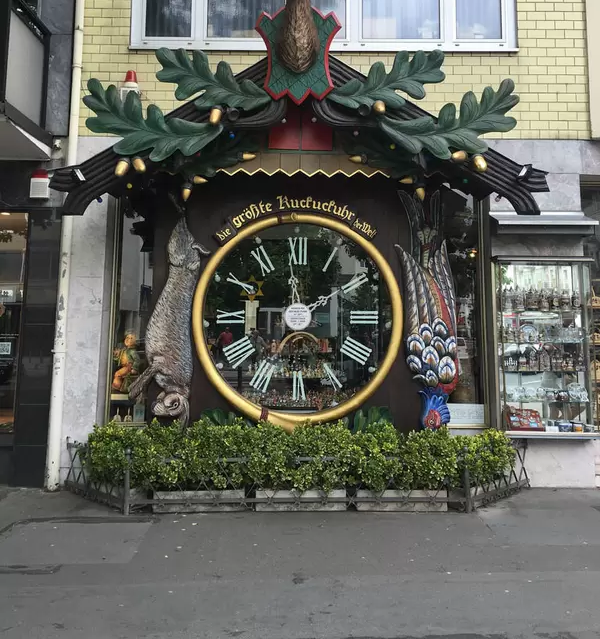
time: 12:09
